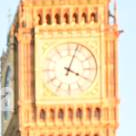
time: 4:03
